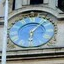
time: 6:07
